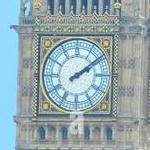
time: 2:09
